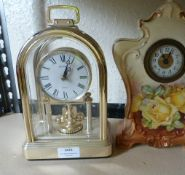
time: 1:02
